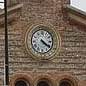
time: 4:20
